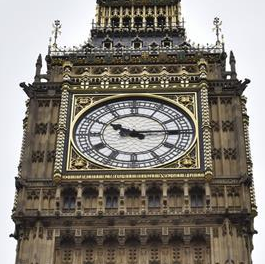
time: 10:14
